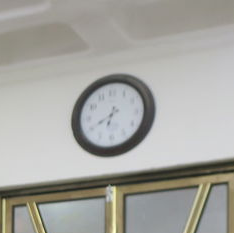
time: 6:40
